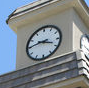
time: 3:44
